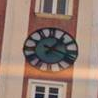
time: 1:18
